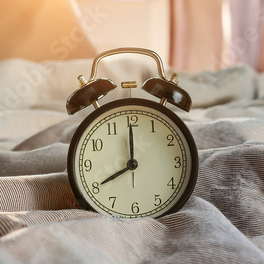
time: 8:00
